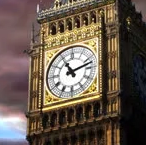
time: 11:12
